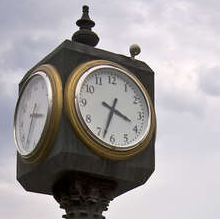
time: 3:33
